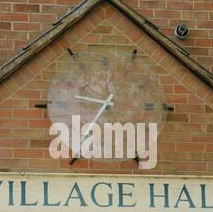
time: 9:36
